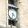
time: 4:33
